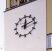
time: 12:11
